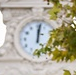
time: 12:01
